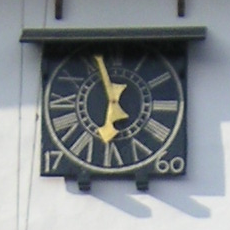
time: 12:57
